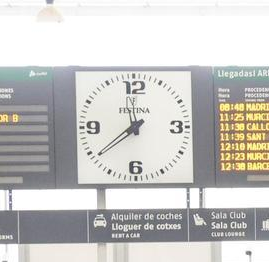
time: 11:38
